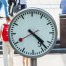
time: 4:23
